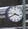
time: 3:40
